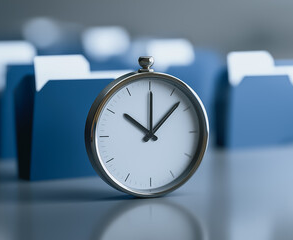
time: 10:07
